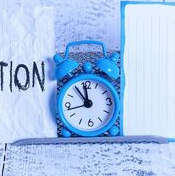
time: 11:54
